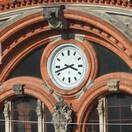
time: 3:42
